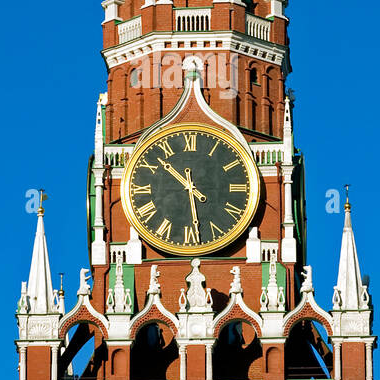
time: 10:28
